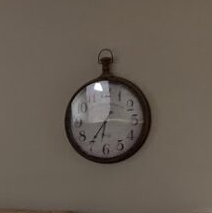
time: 6:36
